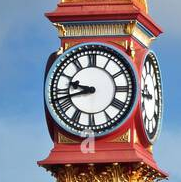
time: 9:42
